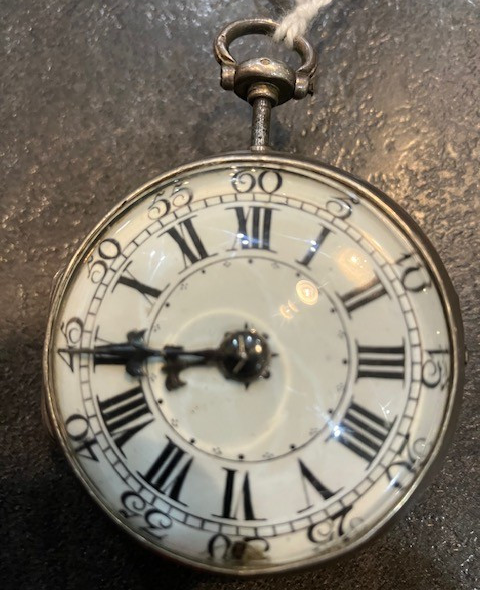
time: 8:44
